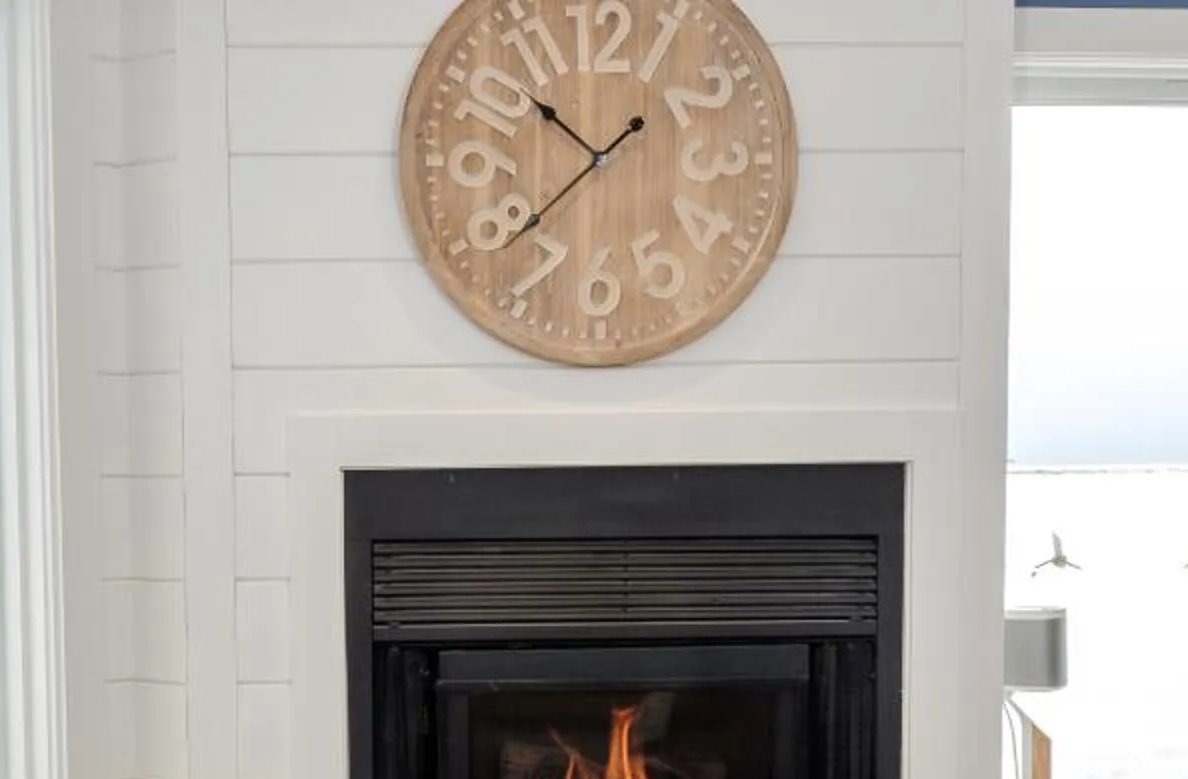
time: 10:38
